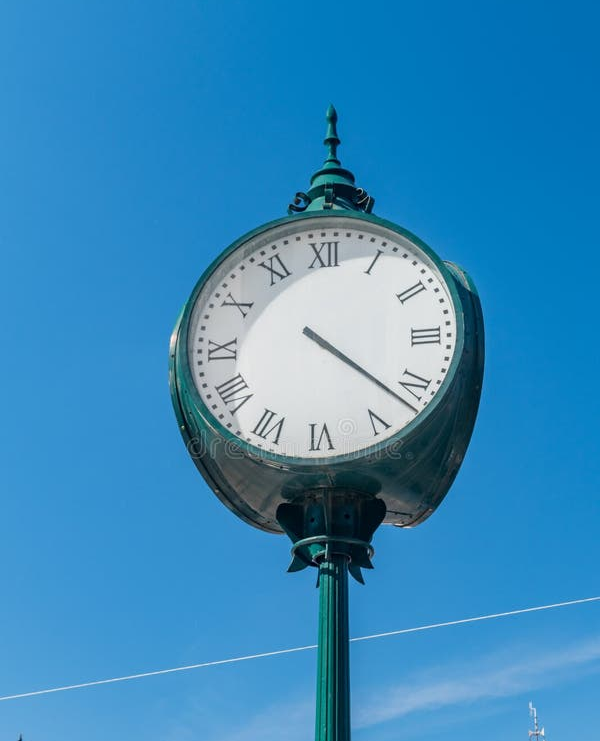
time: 4:21
